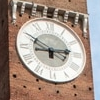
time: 2:49
